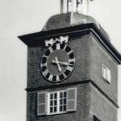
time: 5:16
